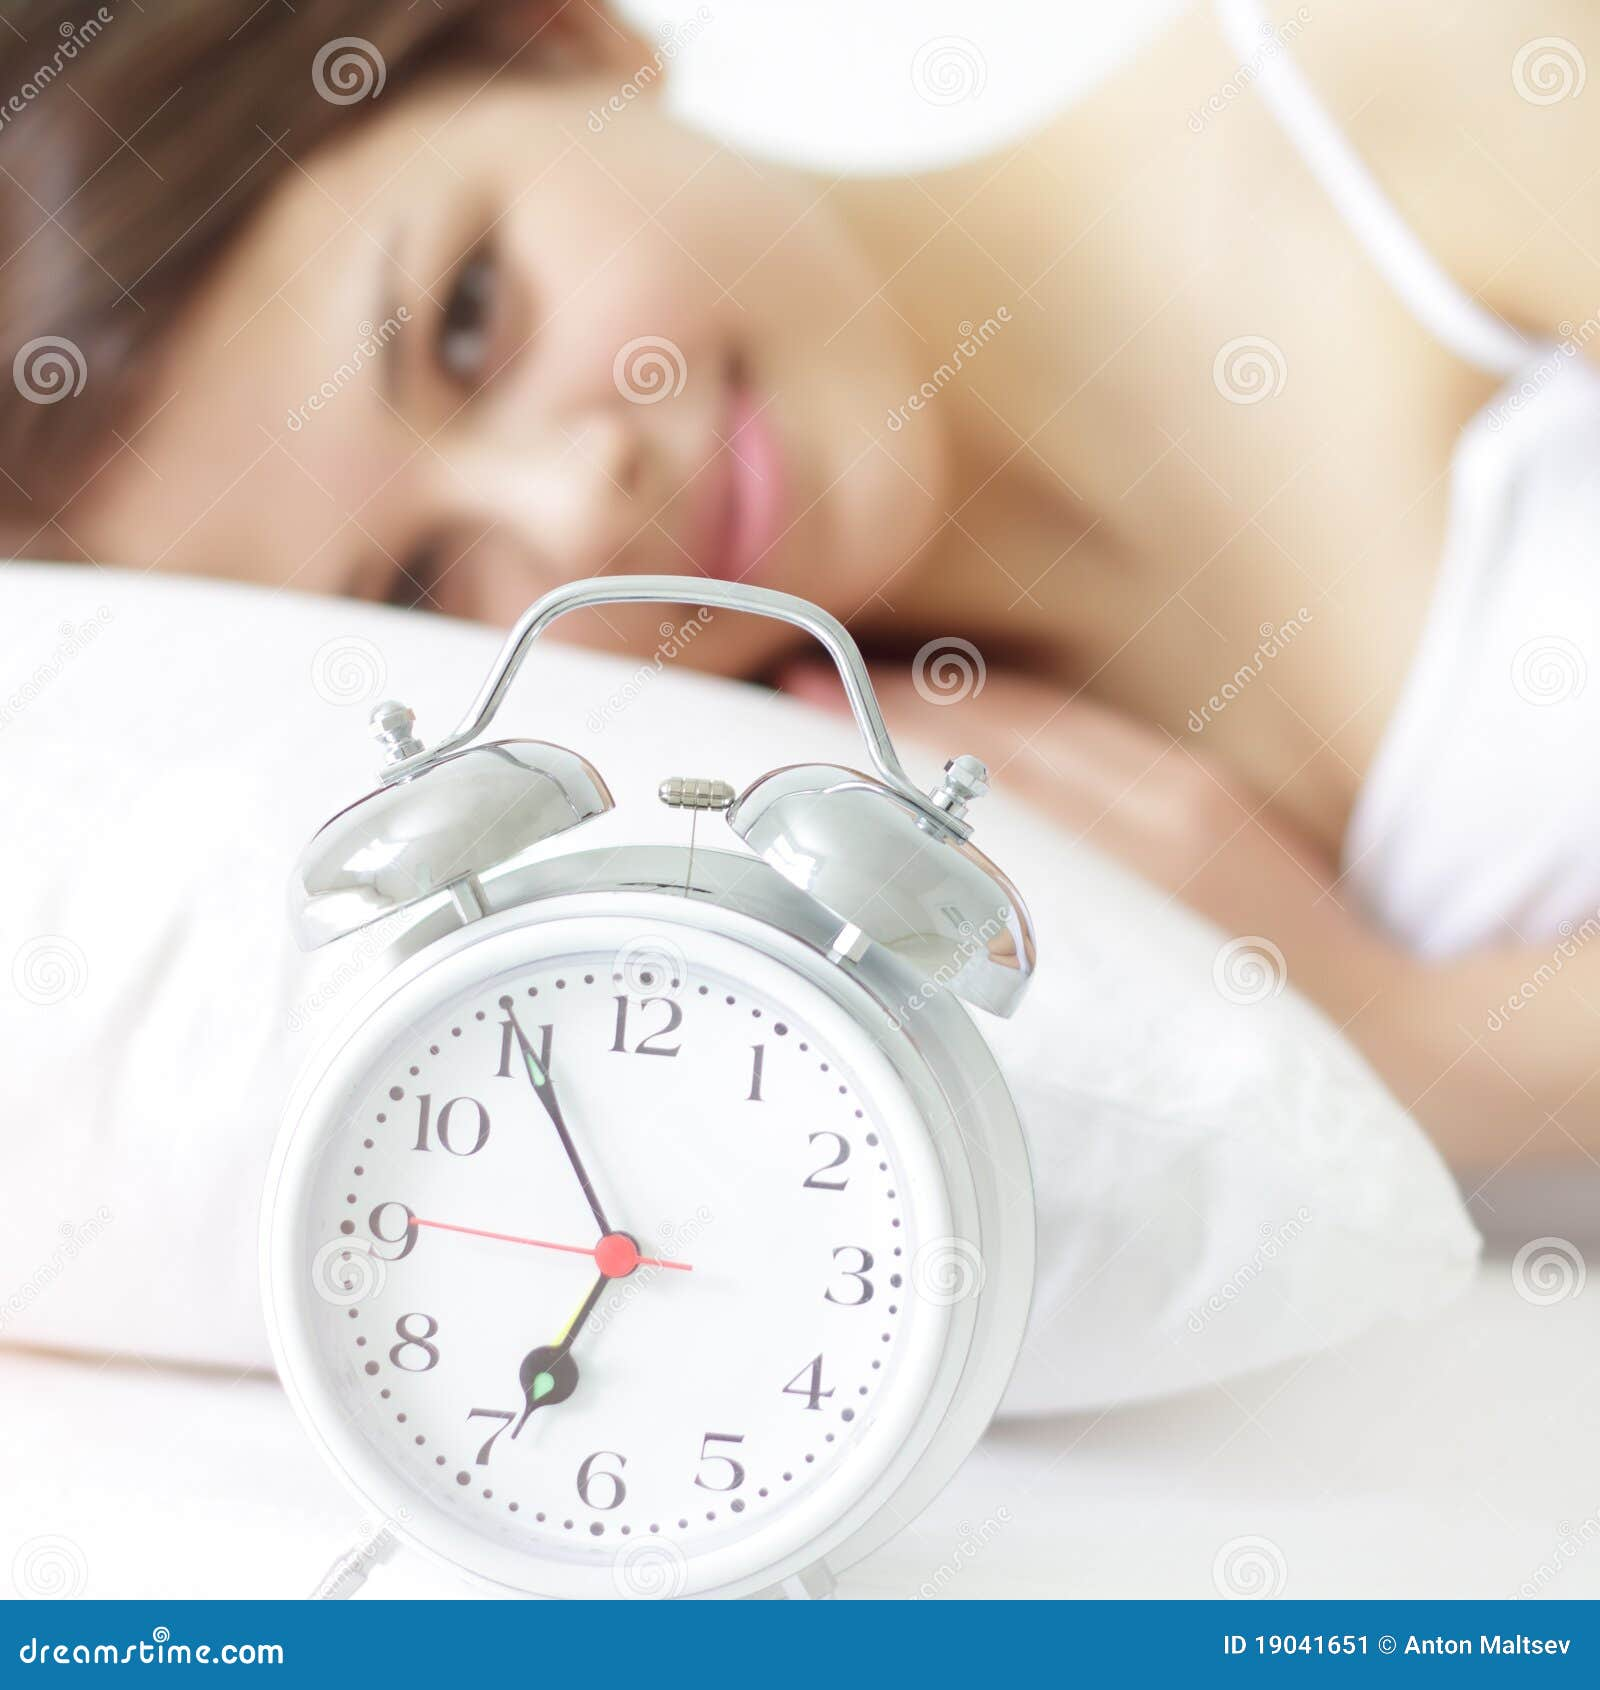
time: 6:54
